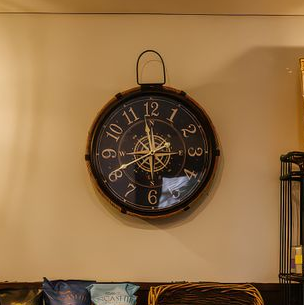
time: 11:40
